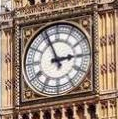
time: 2:56
